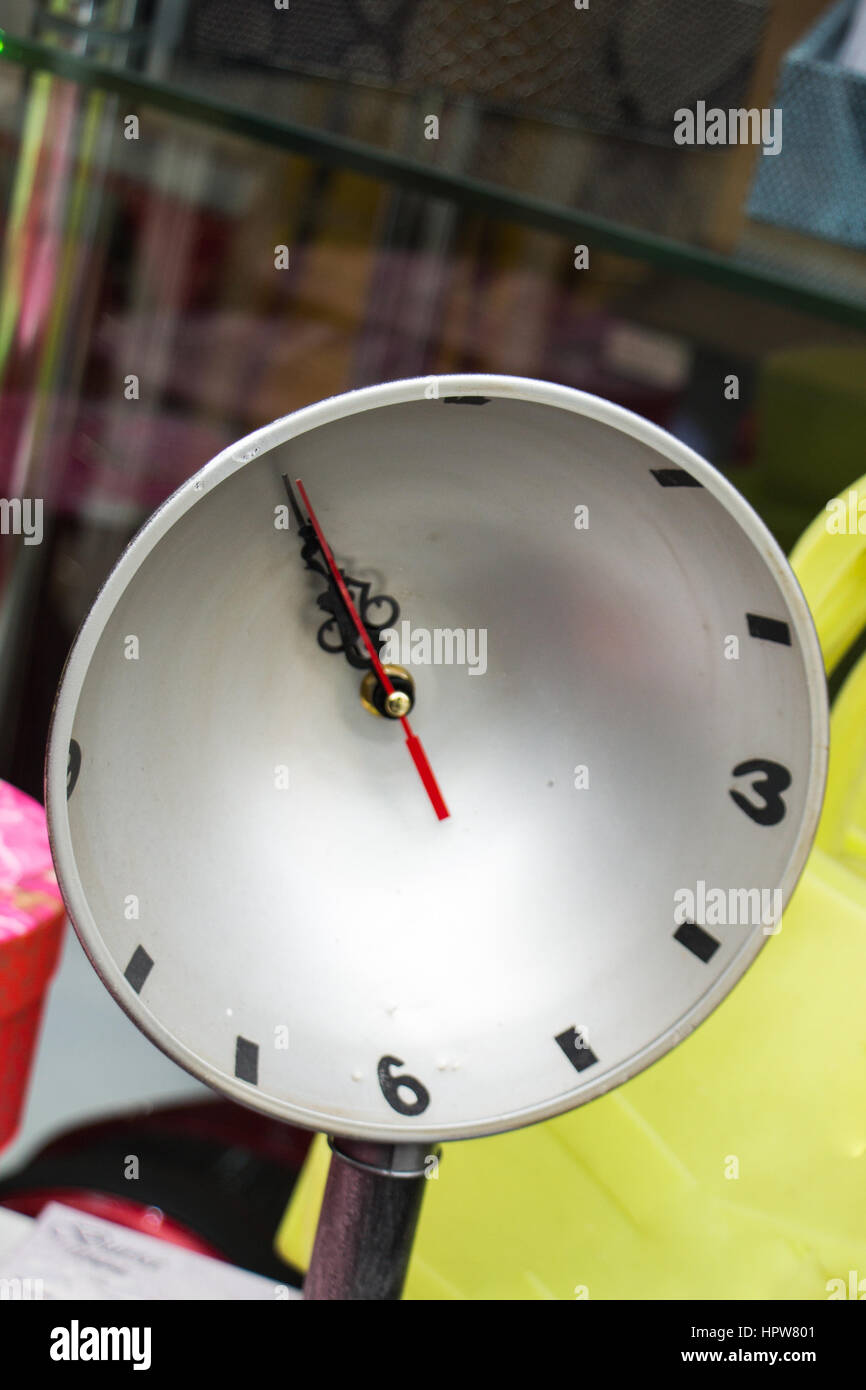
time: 10:55
